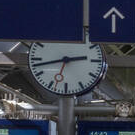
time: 2:42
